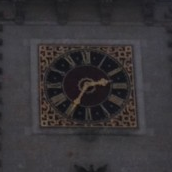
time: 2:35
